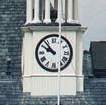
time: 9:53
